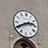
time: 2:40
